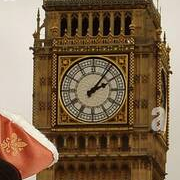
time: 2:06
